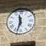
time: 11:32
